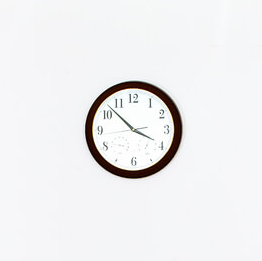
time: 3:52
